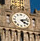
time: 4:12
